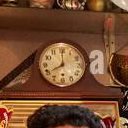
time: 8:00
